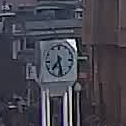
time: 7:28
